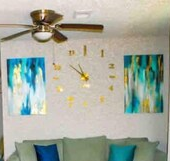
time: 10:52
